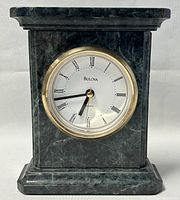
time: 6:42
